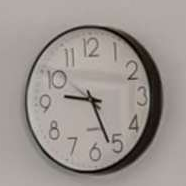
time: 9:26
